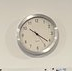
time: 10:21
